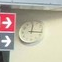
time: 12:16
